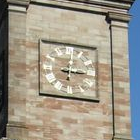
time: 3:01
